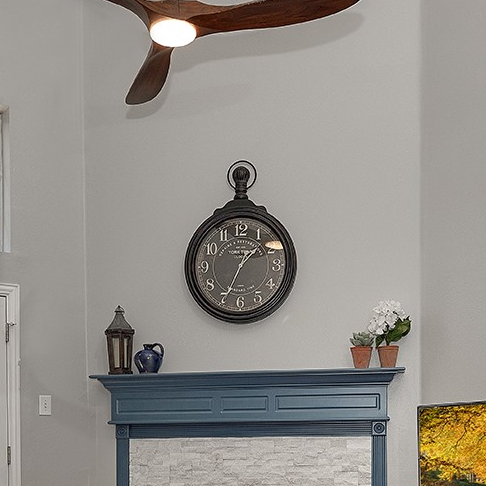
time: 1:34
